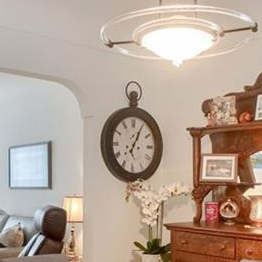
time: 1:04
